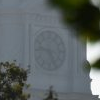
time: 9:25
